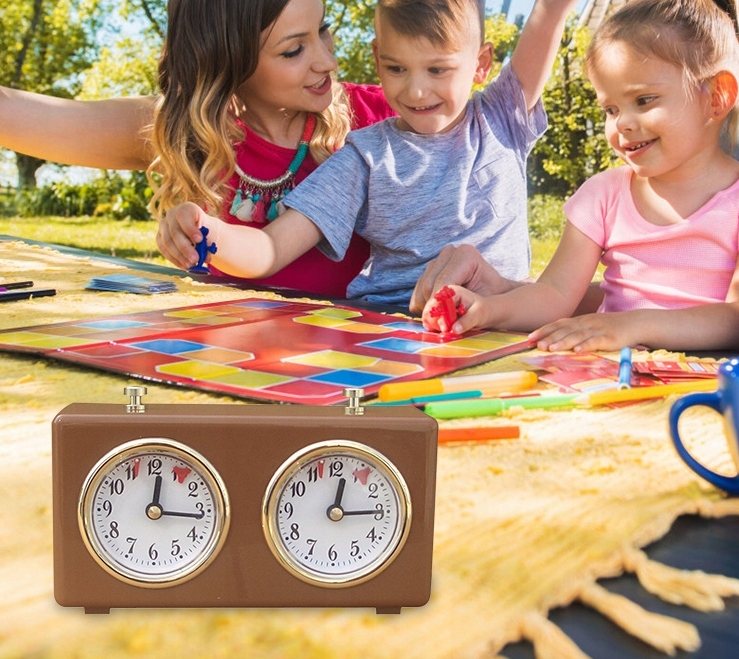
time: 12:14
